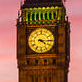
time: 4:14
